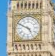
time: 4:49
